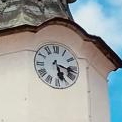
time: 5:17
